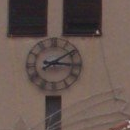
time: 3:09
